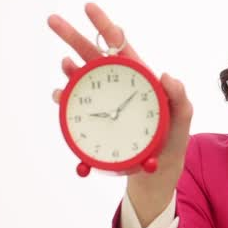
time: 9:07
